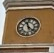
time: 11:21
